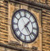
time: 1:23
